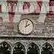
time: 2:02
